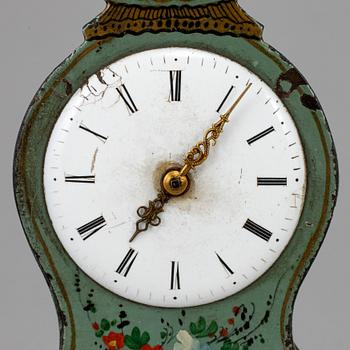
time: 7:06
